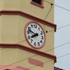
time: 7:47
